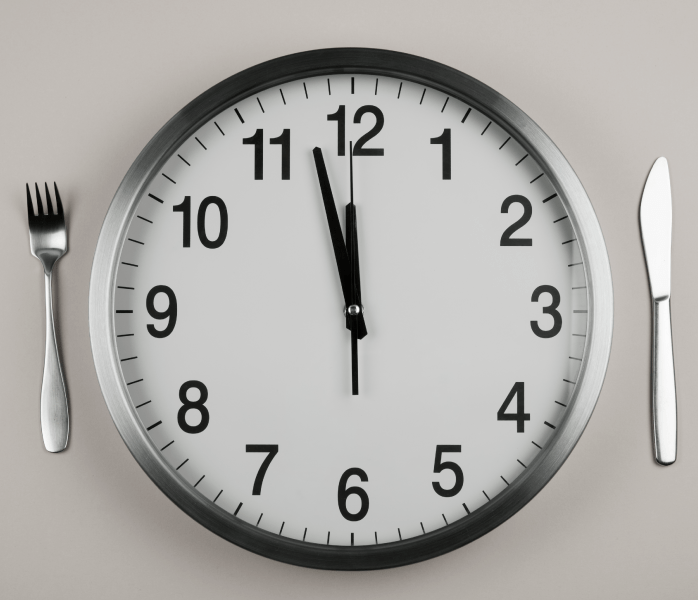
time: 11:57
